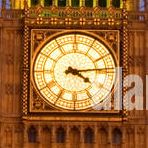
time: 4:13
